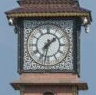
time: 1:32
